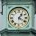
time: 1:20
